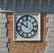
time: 10:00
